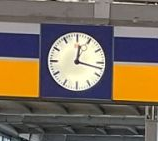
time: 12:17
